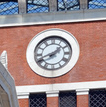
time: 1:41
